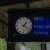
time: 1:22
